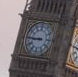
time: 8:45
